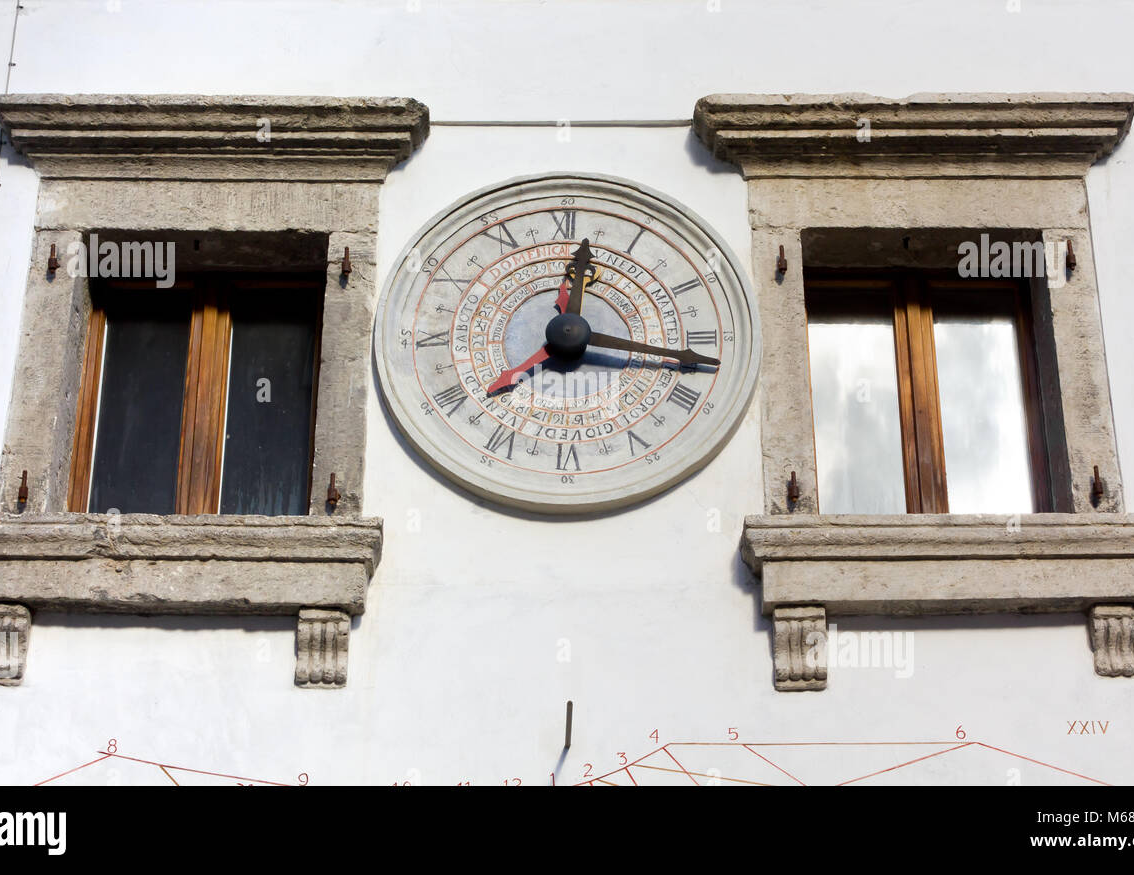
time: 12:16
